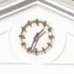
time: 1:33
